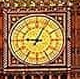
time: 9:04
